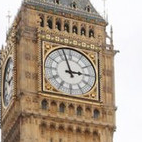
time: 2:56
